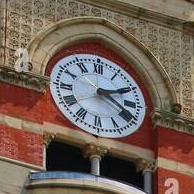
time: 2:18
